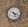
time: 5:18
